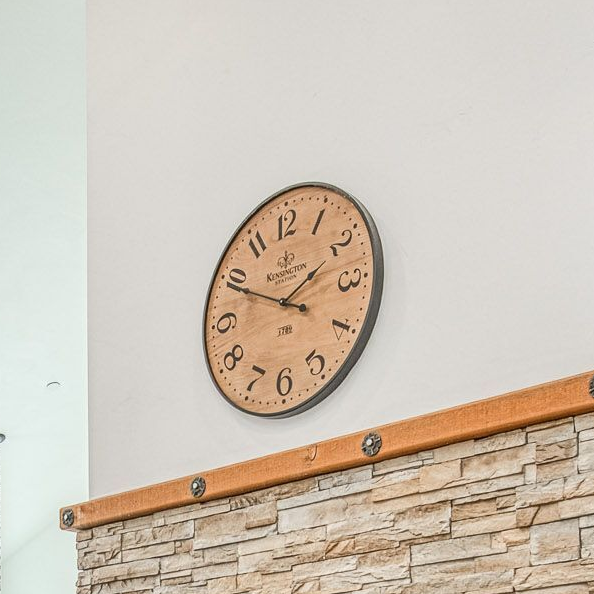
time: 1:49
